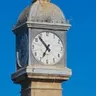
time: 6:53
